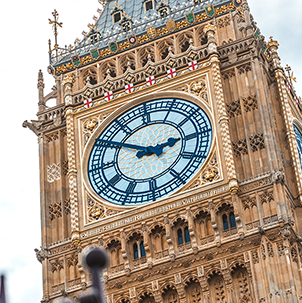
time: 2:50
